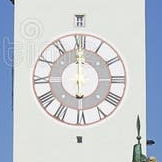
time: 6:00
